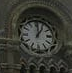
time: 1:00
